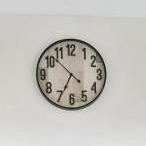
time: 6:52
